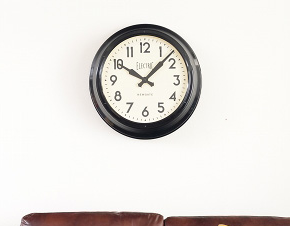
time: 10:07
